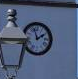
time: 1:57
